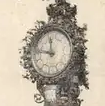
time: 11:46
